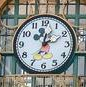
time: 12:10
